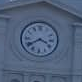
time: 3:39
